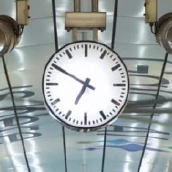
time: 6:50
